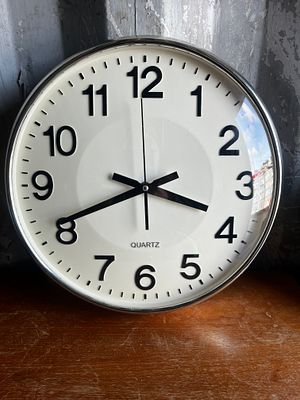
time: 3:41
